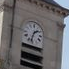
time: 1:32
